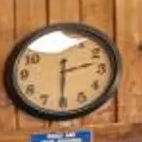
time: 2:30
